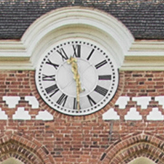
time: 11:28
